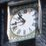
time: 10:43
